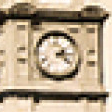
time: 2:15
